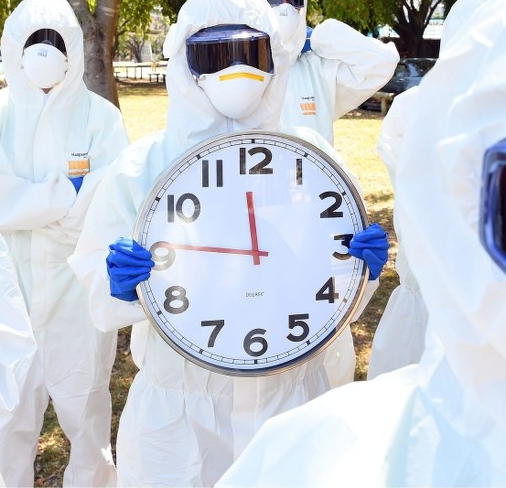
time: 11:46
